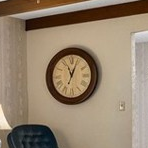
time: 11:03
